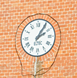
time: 2:05
